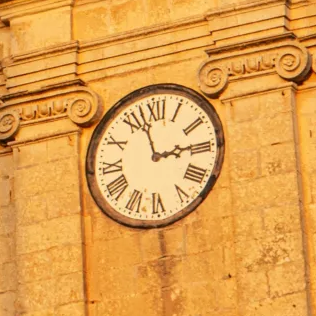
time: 2:57
